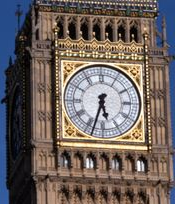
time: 5:33
